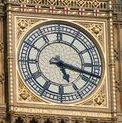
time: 5:17
